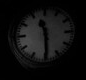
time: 11:29
